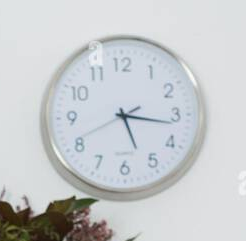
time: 5:16
